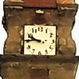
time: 9:45
